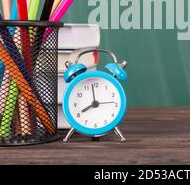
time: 7:58
